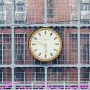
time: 5:47
